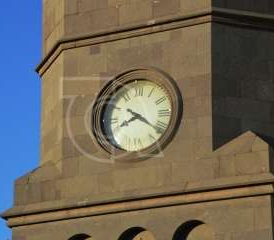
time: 8:21
